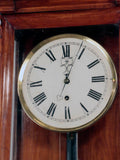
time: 12:04
